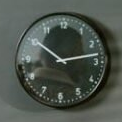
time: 10:13
